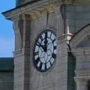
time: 11:51
